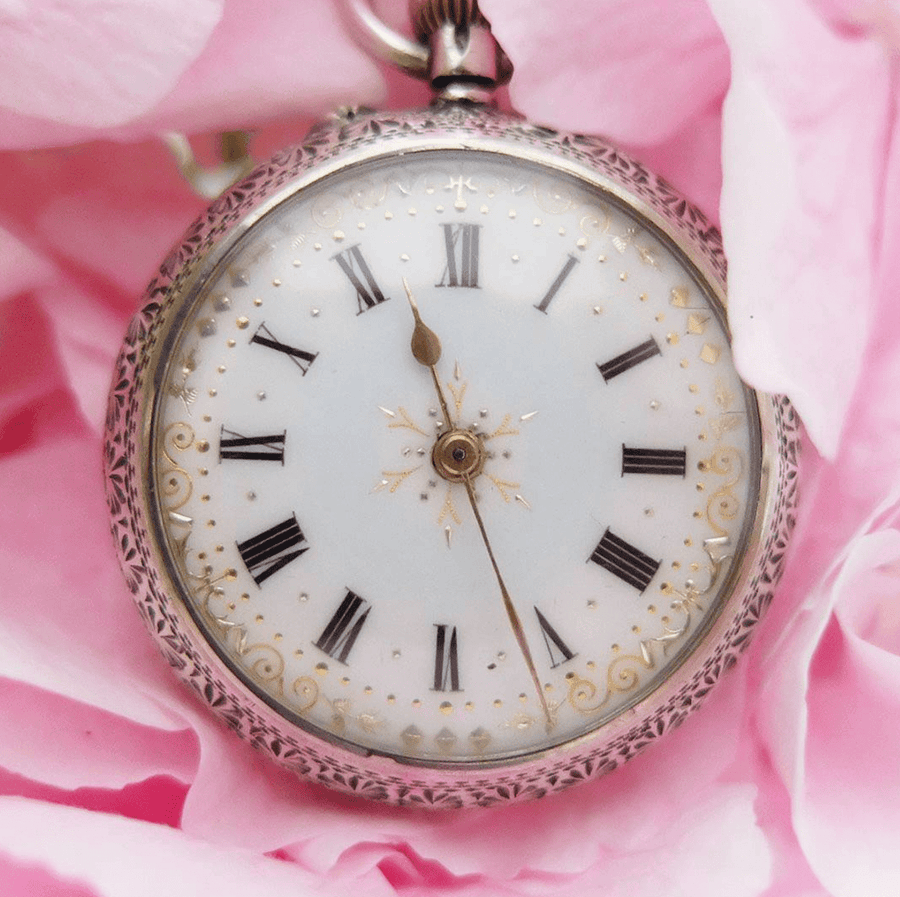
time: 11:26
